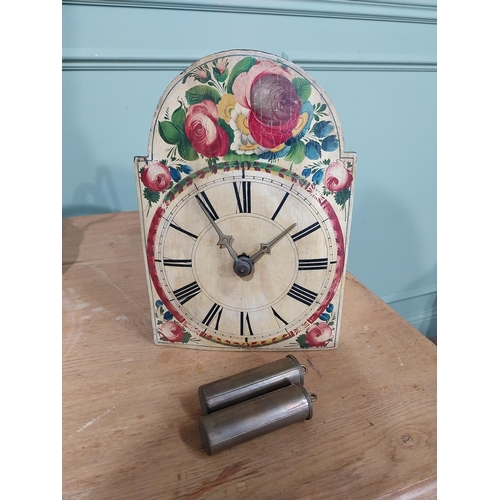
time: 1:54
